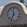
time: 11:35
